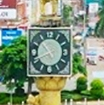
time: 10:41
